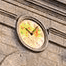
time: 10:07
